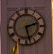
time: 2:27
